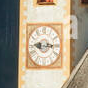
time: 9:15
